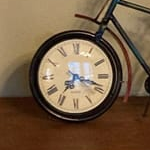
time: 7:18
